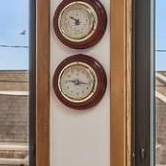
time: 9:16
